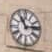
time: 11:13
